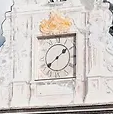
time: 1:38
